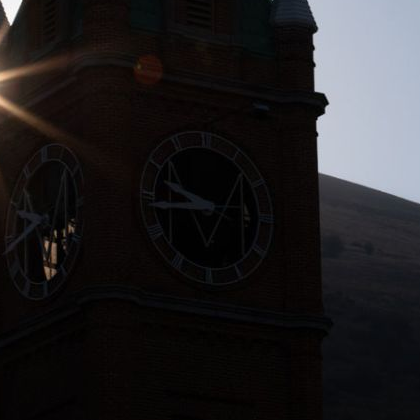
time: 9:43
